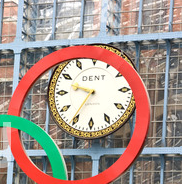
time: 9:35
